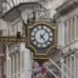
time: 1:23
